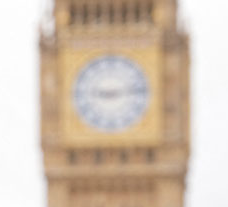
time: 9:13
